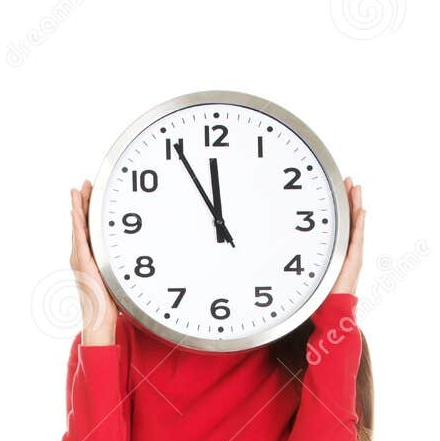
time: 11:55
